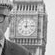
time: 12:14
